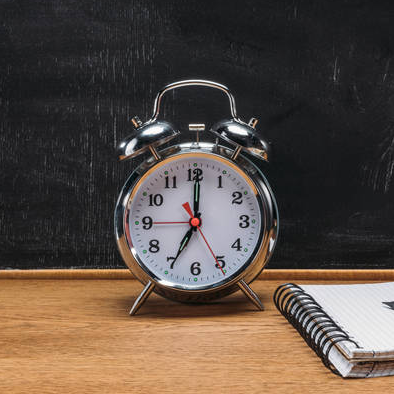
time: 7:00
